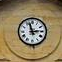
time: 2:57
